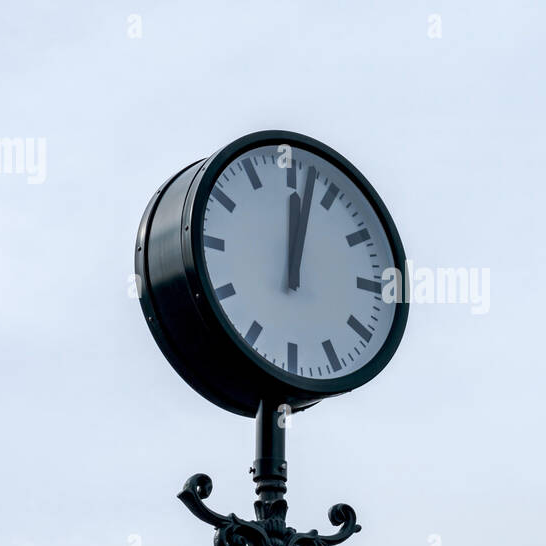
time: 12:02
